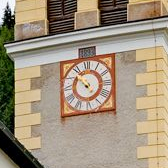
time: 4:52
